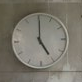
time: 5:00
